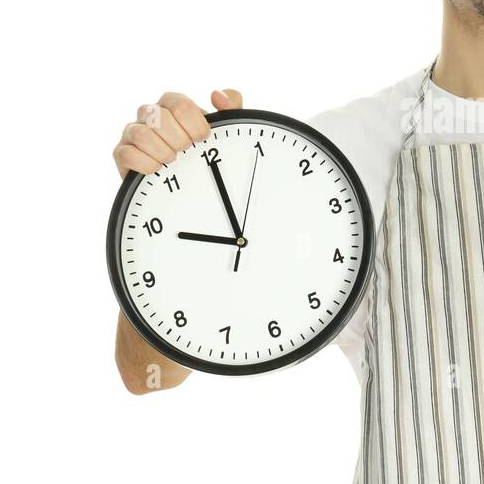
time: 9:59
